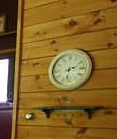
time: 2:32
